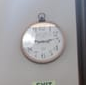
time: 3:13
